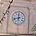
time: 11:42
